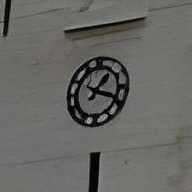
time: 1:18
